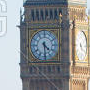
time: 4:29
